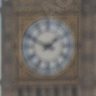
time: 1:49
